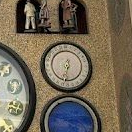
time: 6:32
